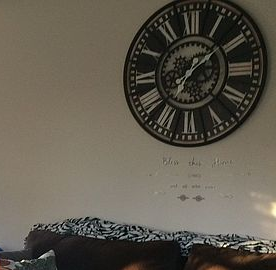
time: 7:08
